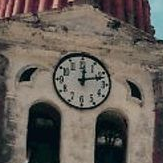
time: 12:12
